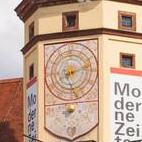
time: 8:12
